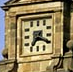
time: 7:19
